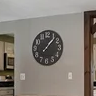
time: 1:07
